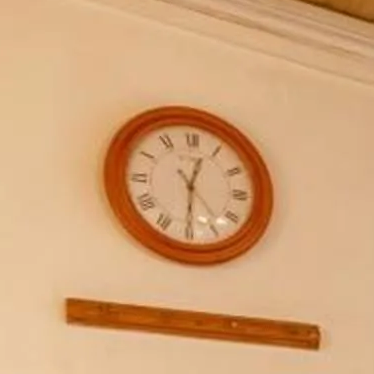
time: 12:30
